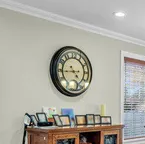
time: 4:44
